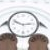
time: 2:48
